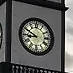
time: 8:49
